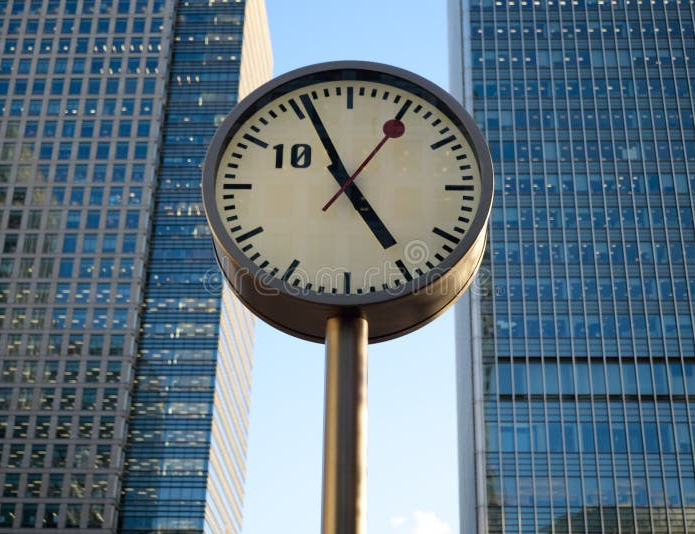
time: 4:55
